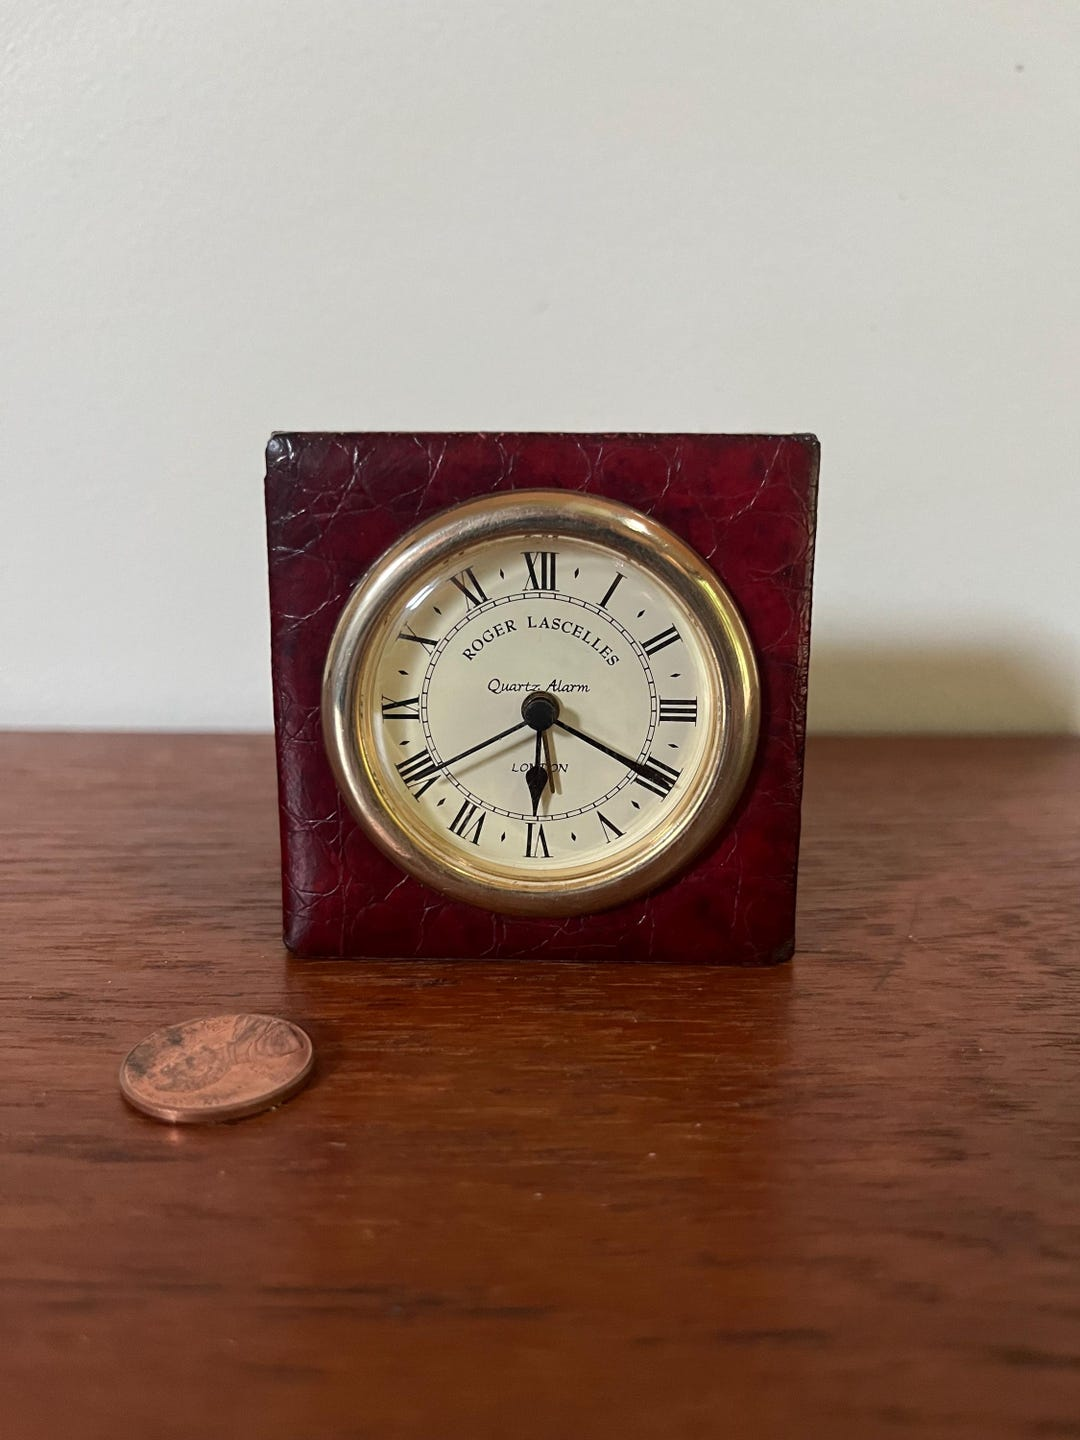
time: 6:20
